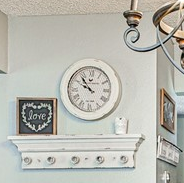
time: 9:53
